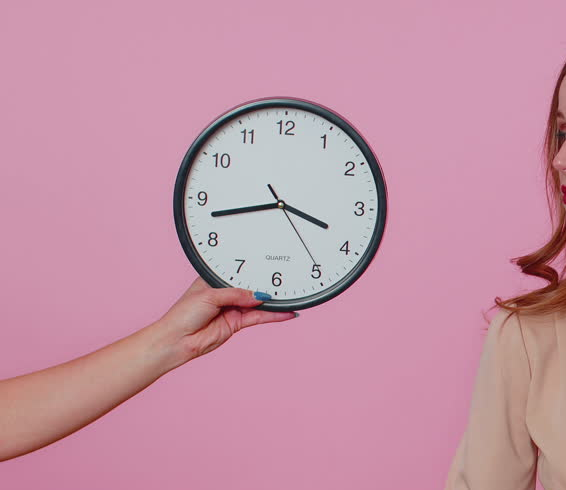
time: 3:42
